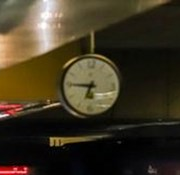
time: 6:45
